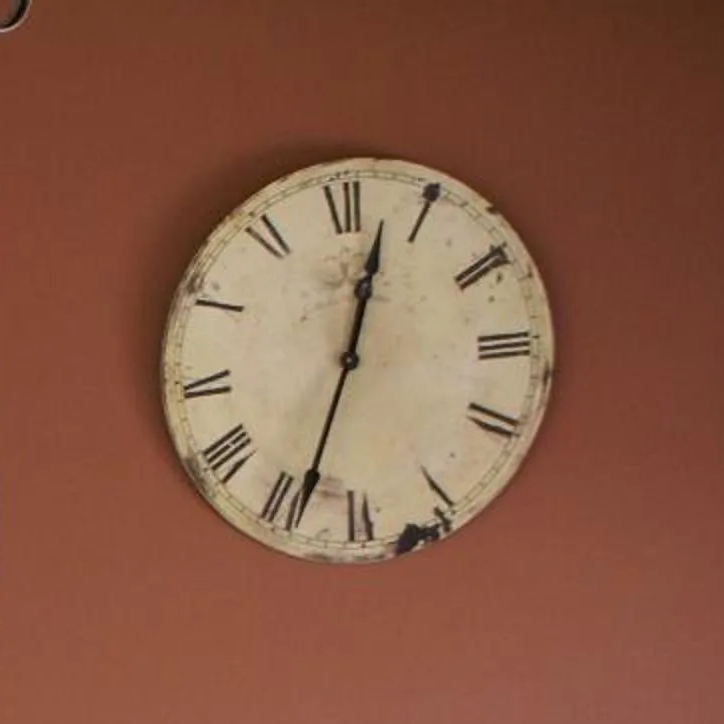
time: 12:33
